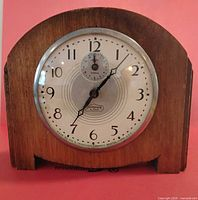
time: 7:06
